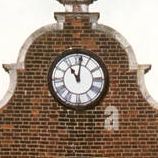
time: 11:01
